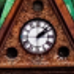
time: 2:07
